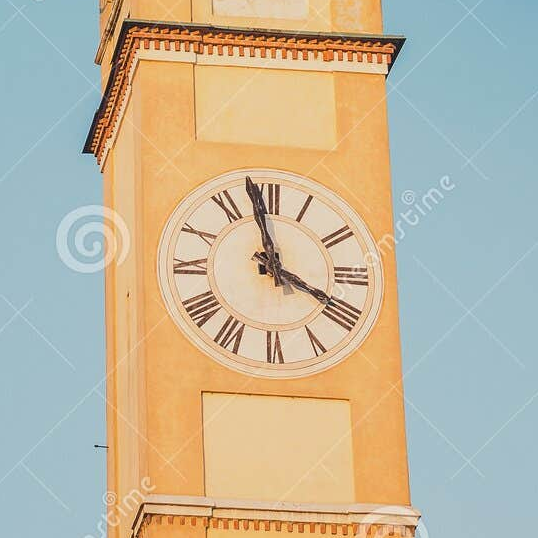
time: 3:58
